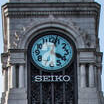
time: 4:03
